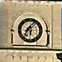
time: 6:06
